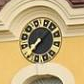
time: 7:07
